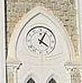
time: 4:04
